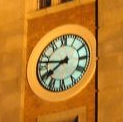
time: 7:46
